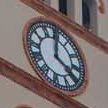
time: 4:00
